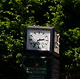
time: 2:36
